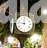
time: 11:46
